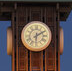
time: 6:10
